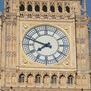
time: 7:47
